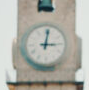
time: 3:01
